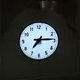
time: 7:14
